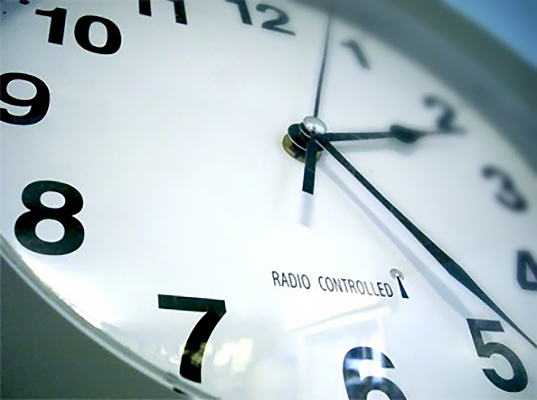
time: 2:23
